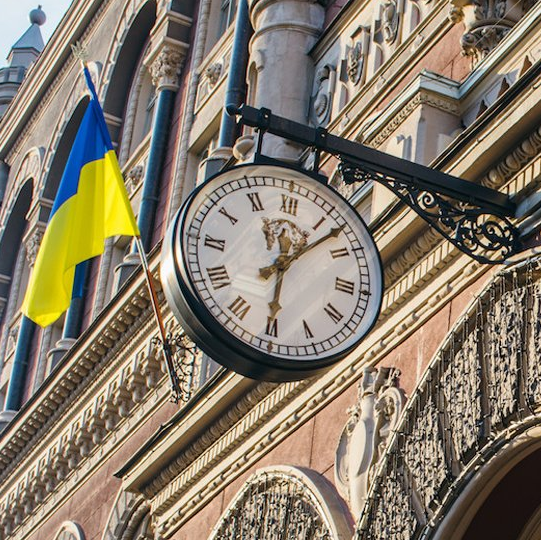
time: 12:07
